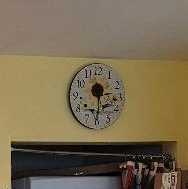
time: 2:30
